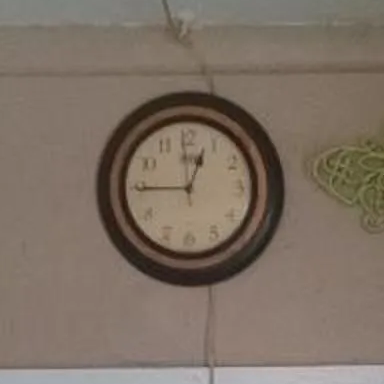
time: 12:44
